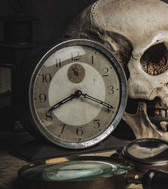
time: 8:19
